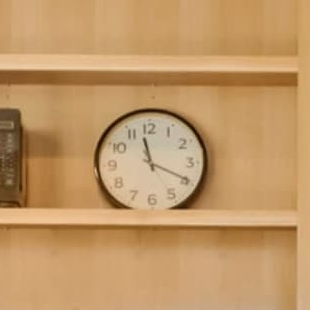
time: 11:19
